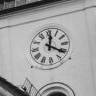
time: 12:20
